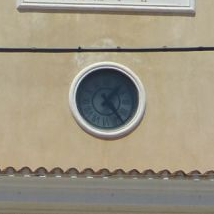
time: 1:23
